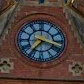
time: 7:17
